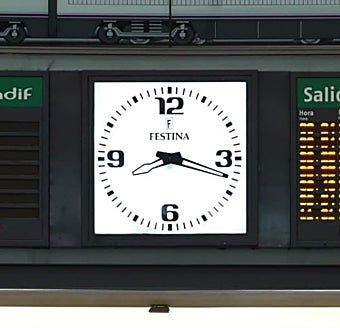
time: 8:17
